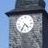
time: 4:34
